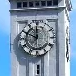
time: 11:49
